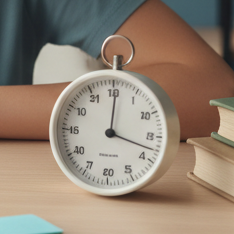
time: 12:17
